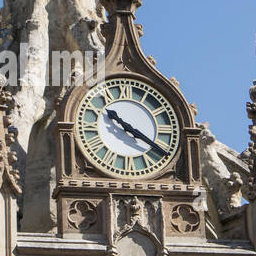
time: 10:20
